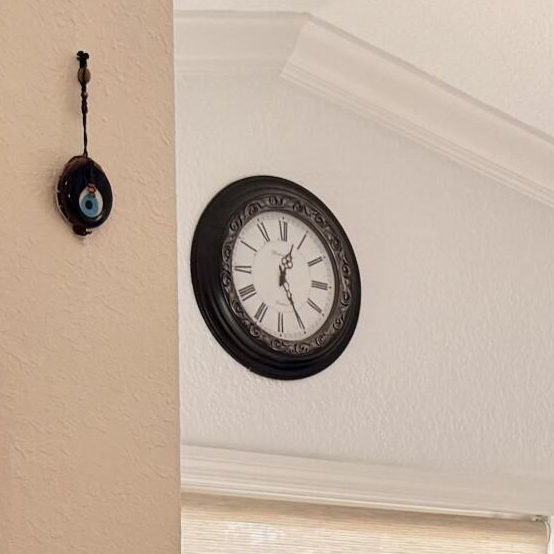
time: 12:24
